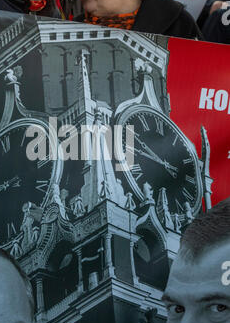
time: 9:45
